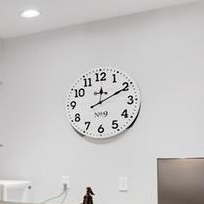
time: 12:10
